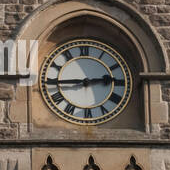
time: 2:44
